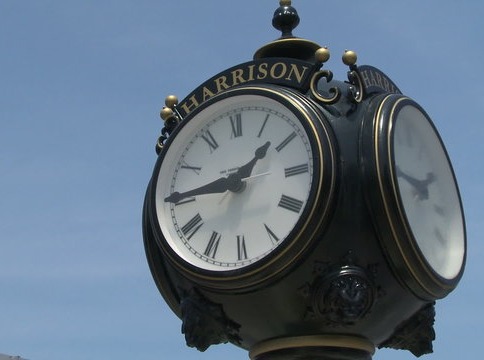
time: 1:45
